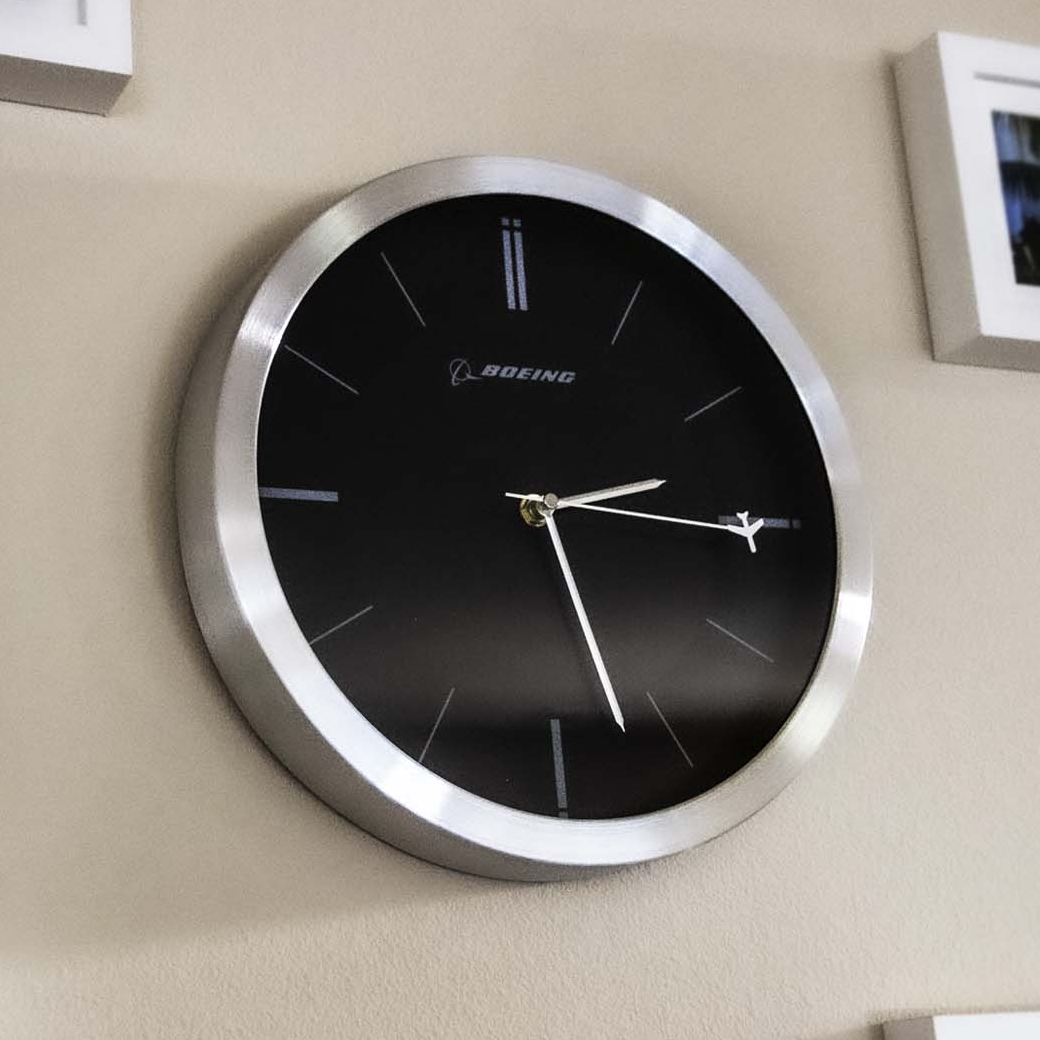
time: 2:27
